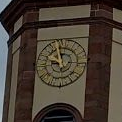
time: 9:57
